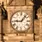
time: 9:07
